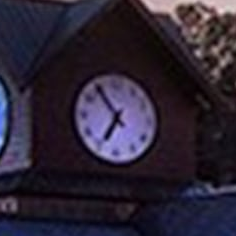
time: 6:54
